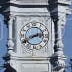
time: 2:40
